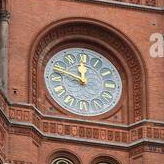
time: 11:48
